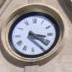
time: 3:21
